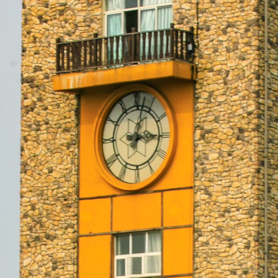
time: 3:02
